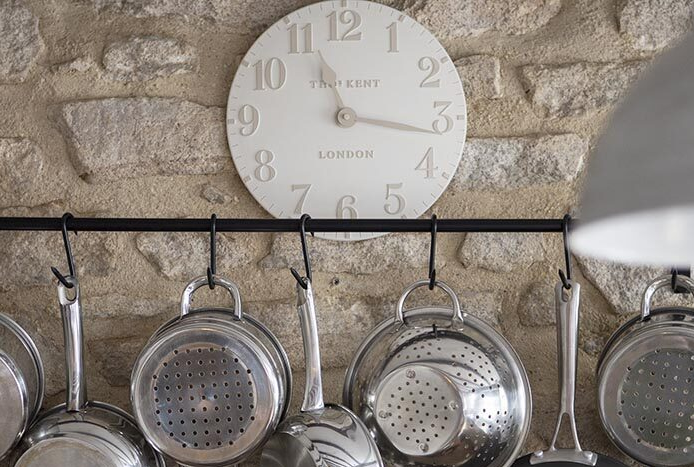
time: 11:16
